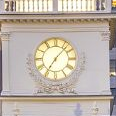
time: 7:07
